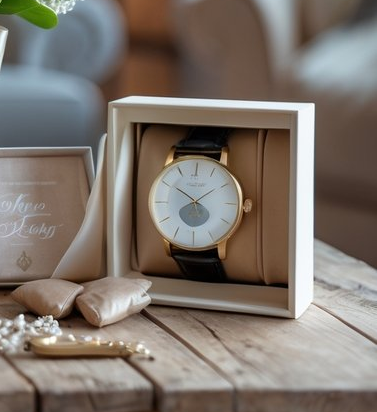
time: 1:50
